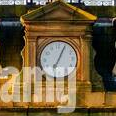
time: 7:04
